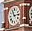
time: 11:13
